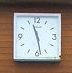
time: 11:28
